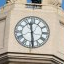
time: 11:28
